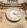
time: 3:22
